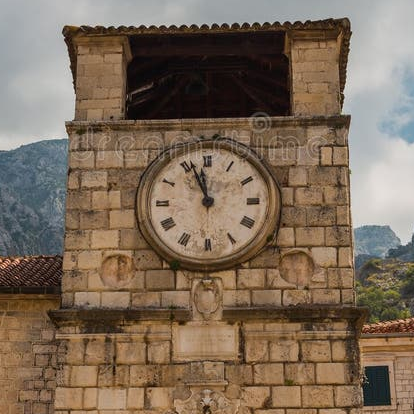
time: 11:56
